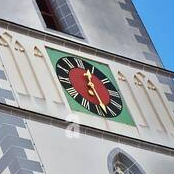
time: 12:27
